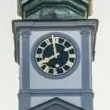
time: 7:57
